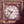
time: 9:36
